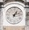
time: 1:12
